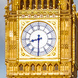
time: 8:30
